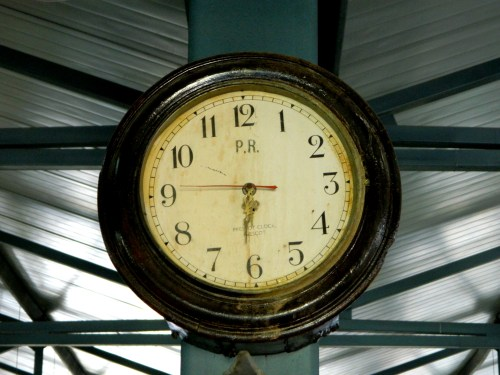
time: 5:45
